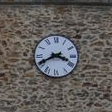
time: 3:40
